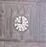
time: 11:46
